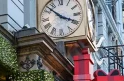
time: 3:52
